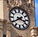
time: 3:39
